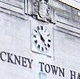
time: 4:52
